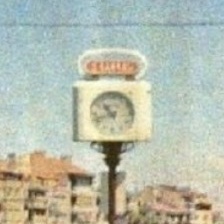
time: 10:42
